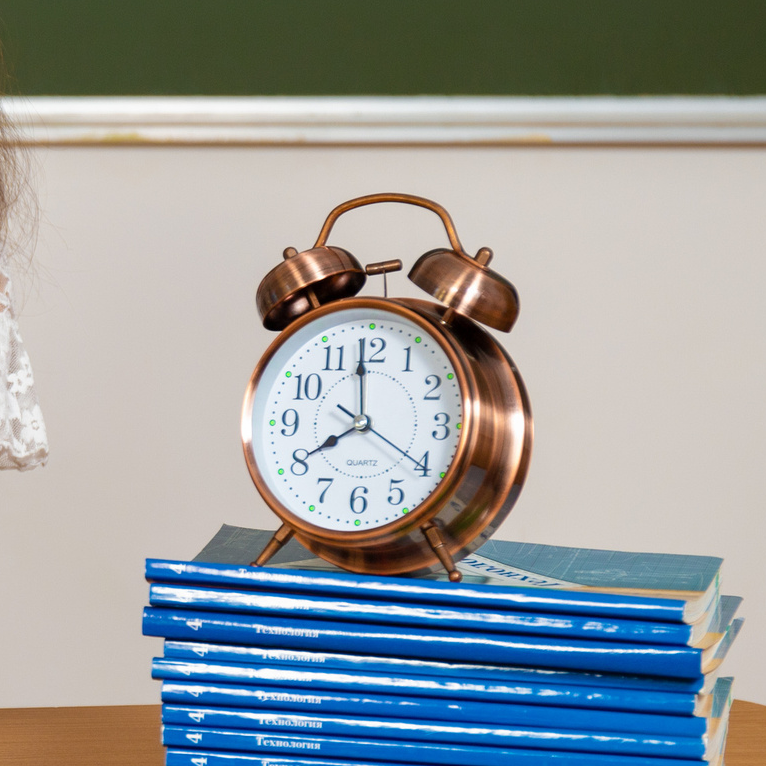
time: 7:59
